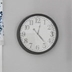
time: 12:23
